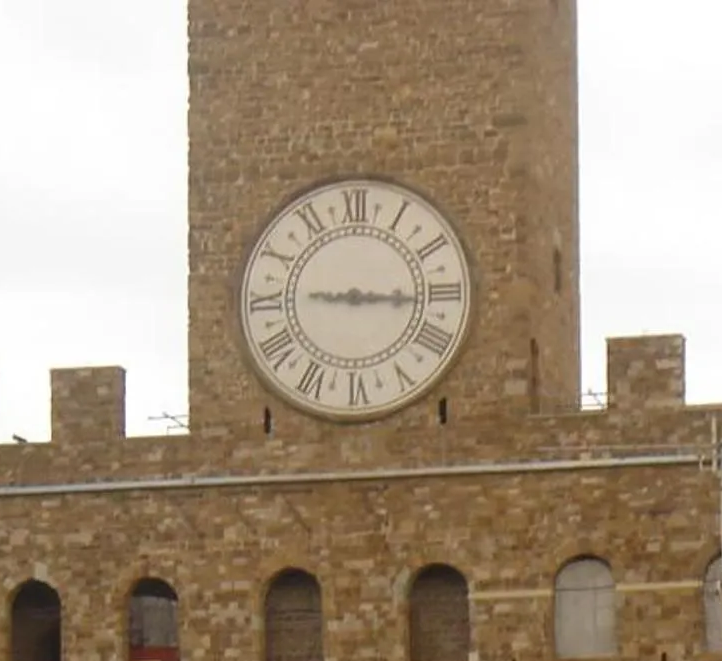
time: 9:15
